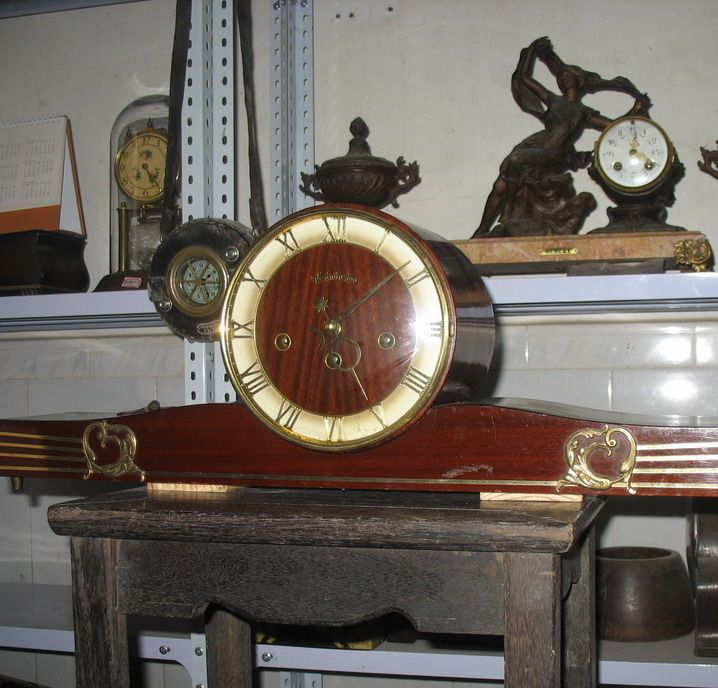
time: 5:08
